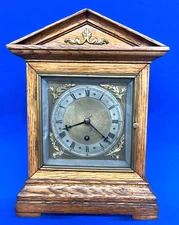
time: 8:21
